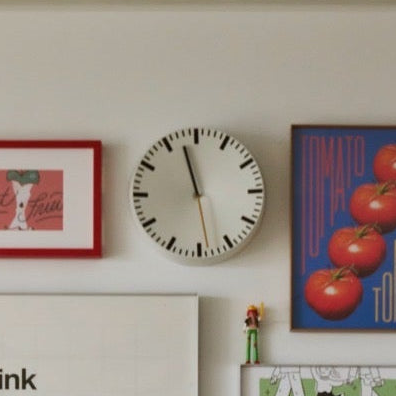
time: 11:28
